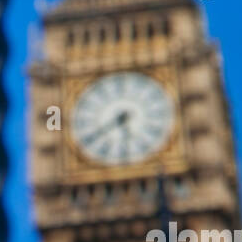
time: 5:40
